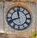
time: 11:41
